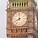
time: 7:59
